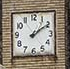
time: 1:09
